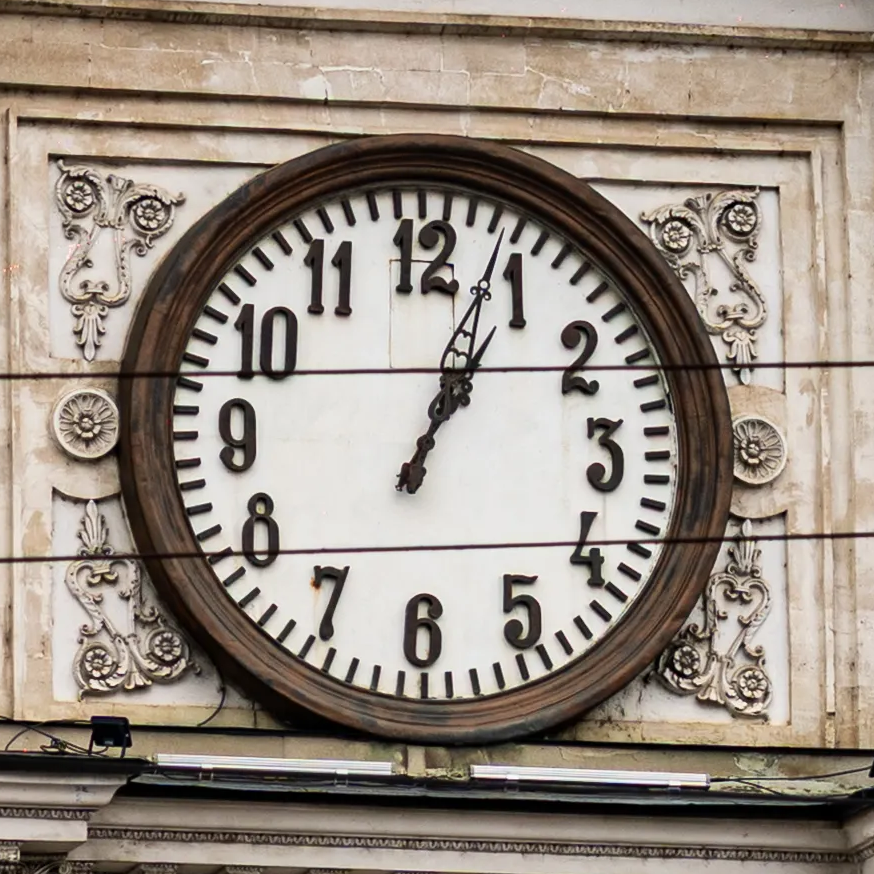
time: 1:03
